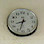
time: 8:32
